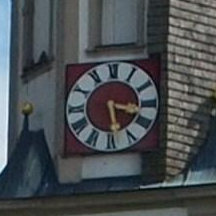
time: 3:28
